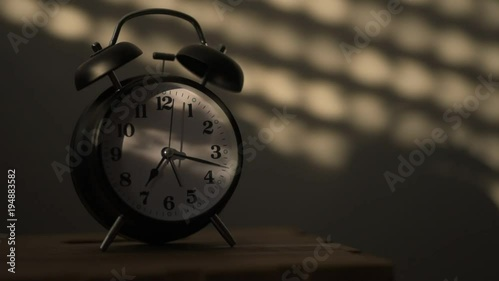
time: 7:17
